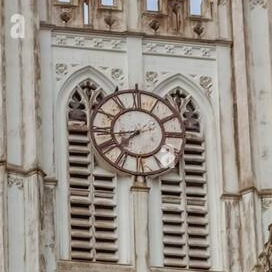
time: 7:43
